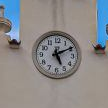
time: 5:10
